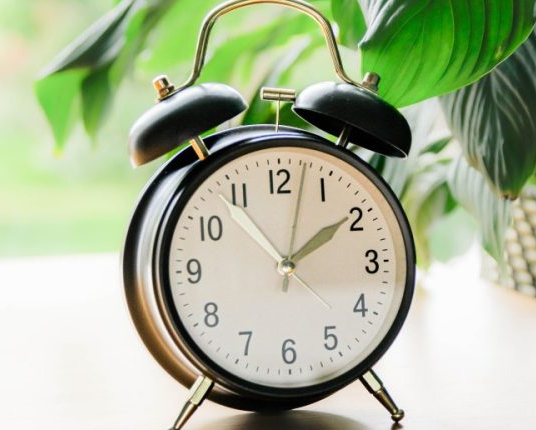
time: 1:53
